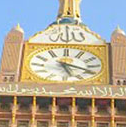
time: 5:18
